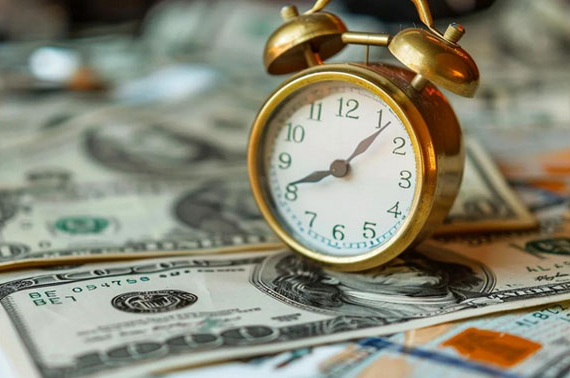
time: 8:07
